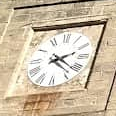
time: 2:21
